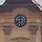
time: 11:41
